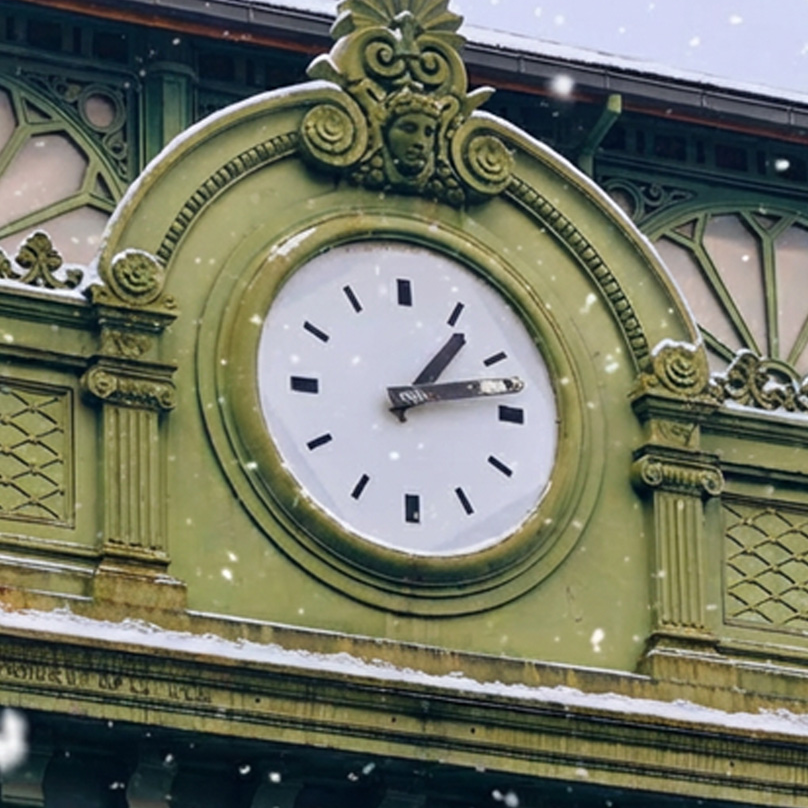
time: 1:12
